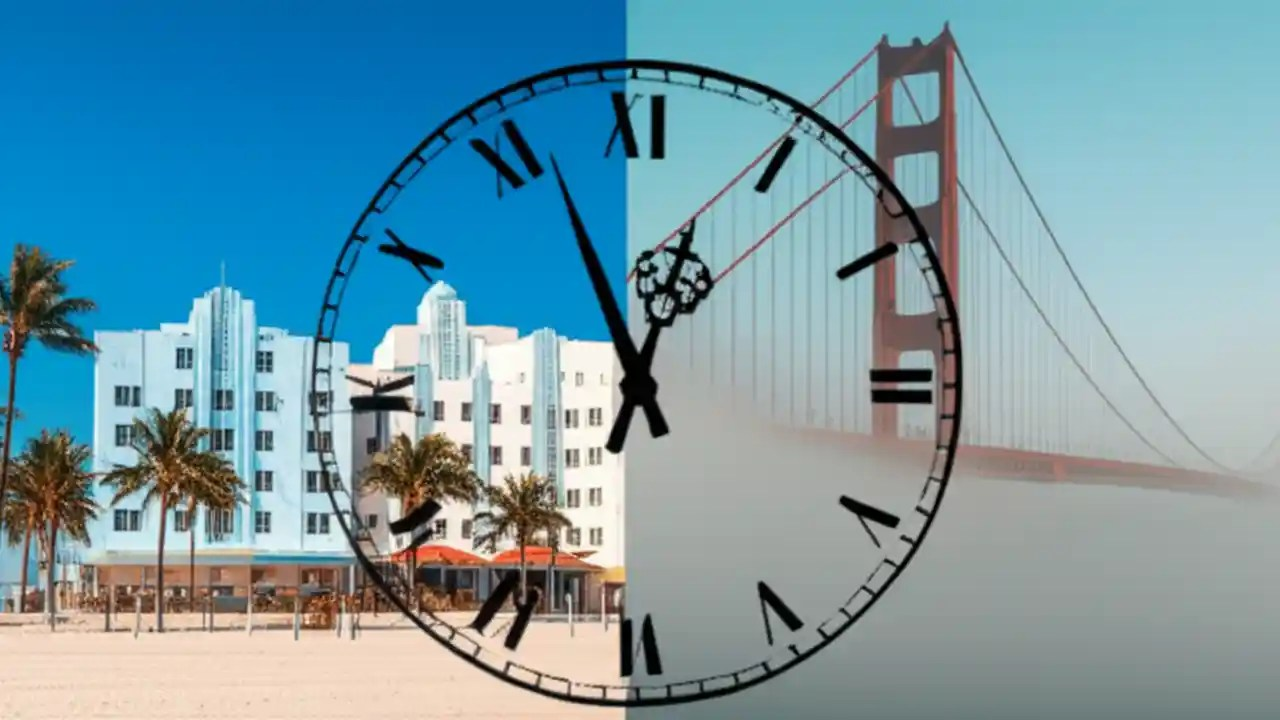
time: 12:56
